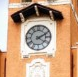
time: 4:10
